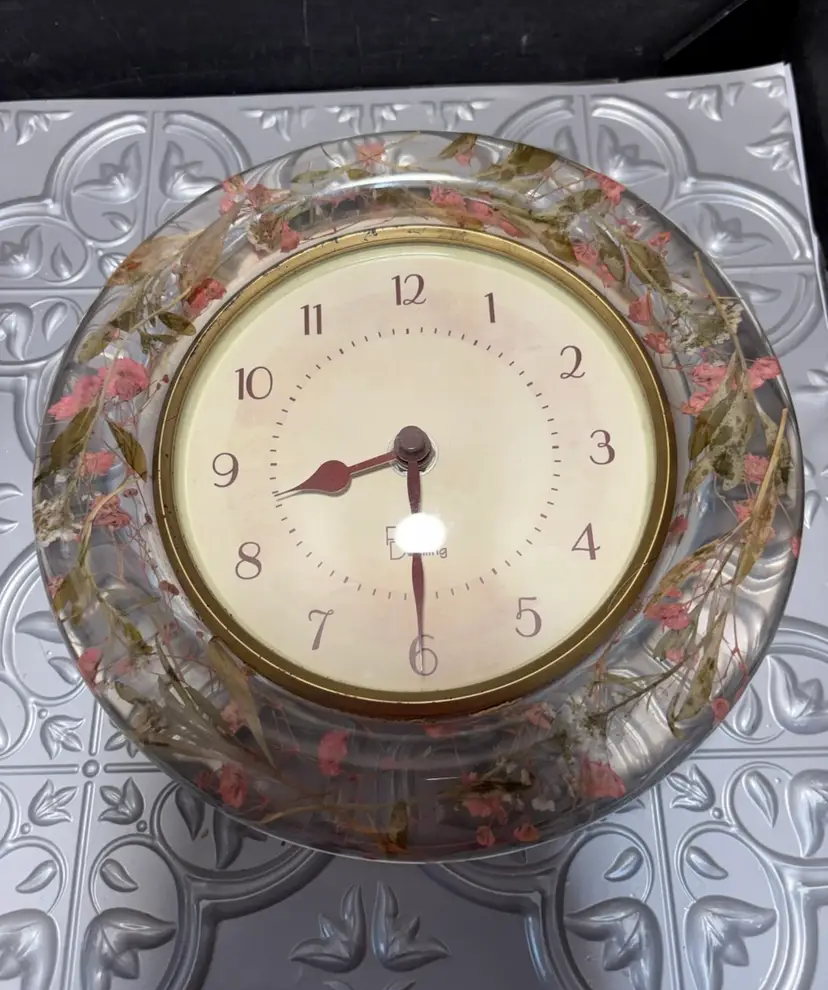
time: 8:29
